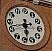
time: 5:42
